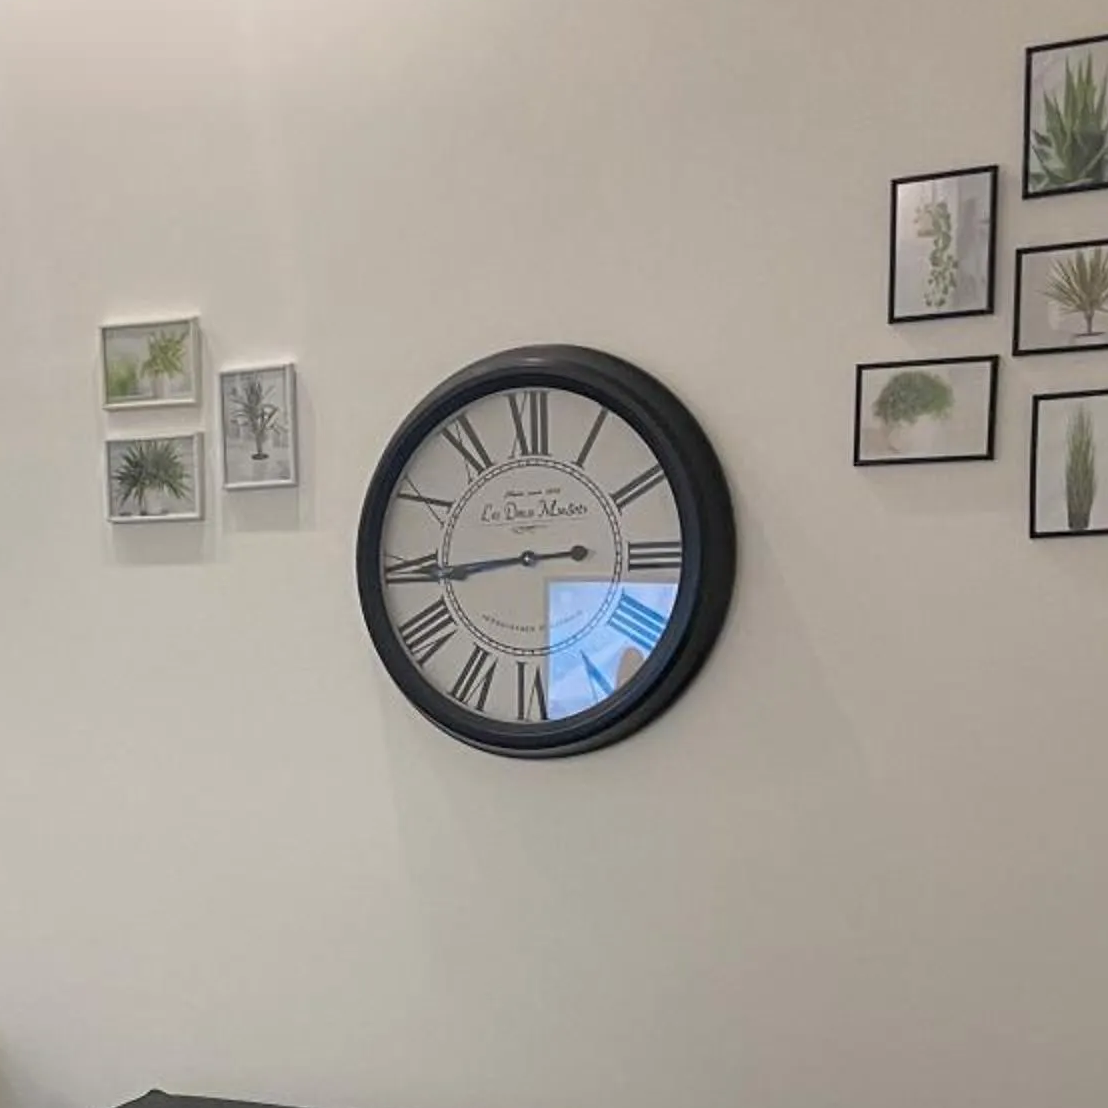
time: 8:43
